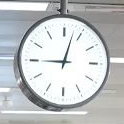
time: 9:02
